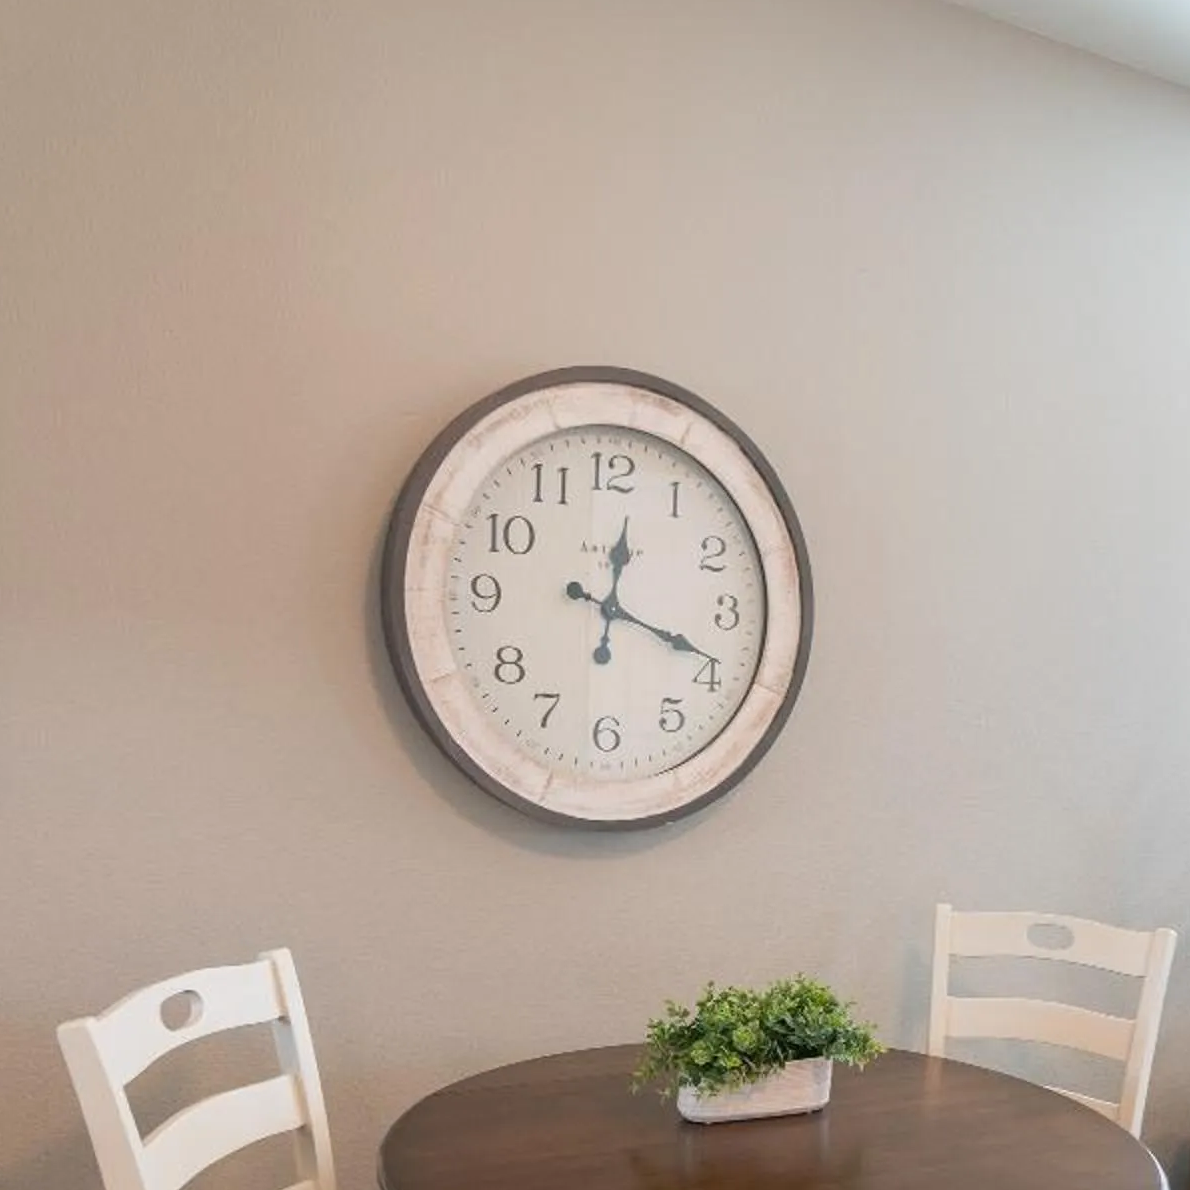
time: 12:18
